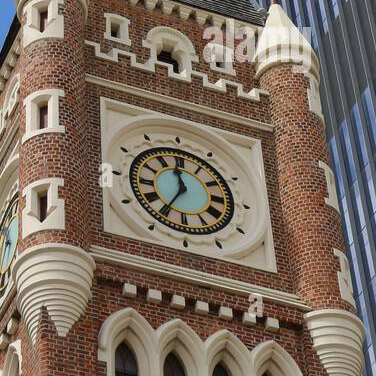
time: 11:35
